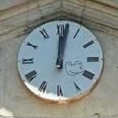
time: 12:01
